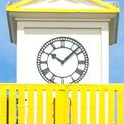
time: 10:07
